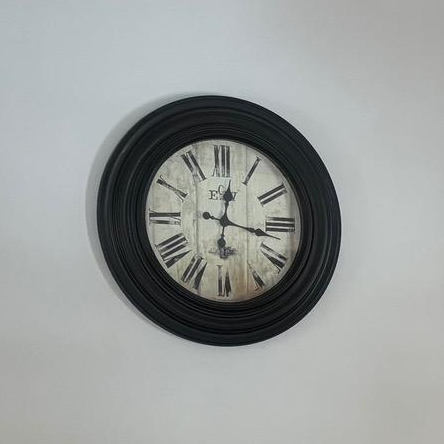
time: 12:16
